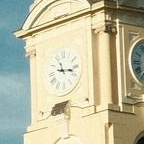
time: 11:16
